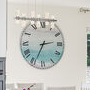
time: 2:34
